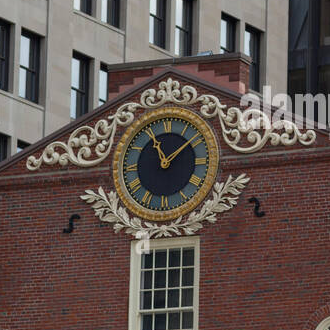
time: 11:08
